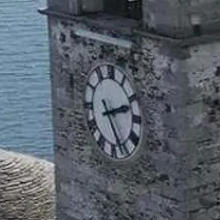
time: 2:25
